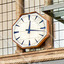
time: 12:16
